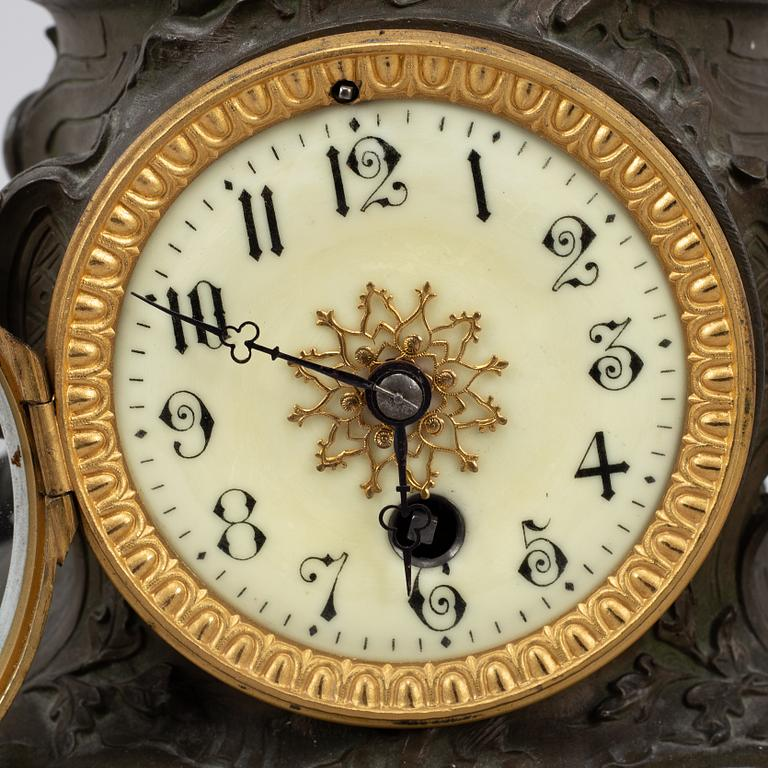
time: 5:49
